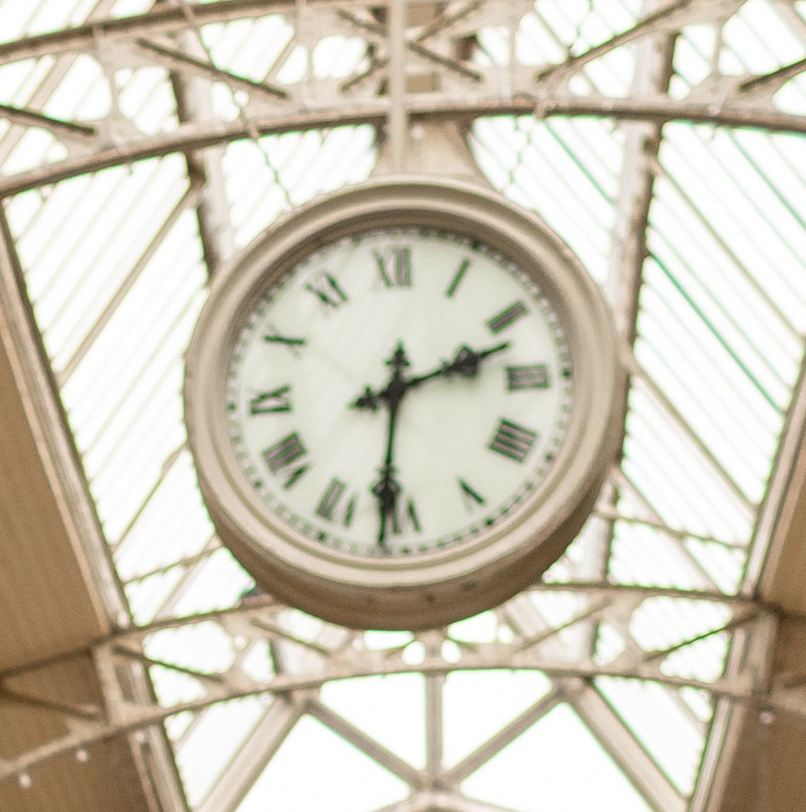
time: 2:31
